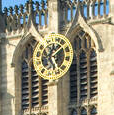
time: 5:07
